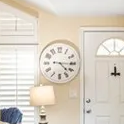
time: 4:15
